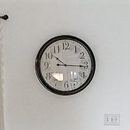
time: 10:15
